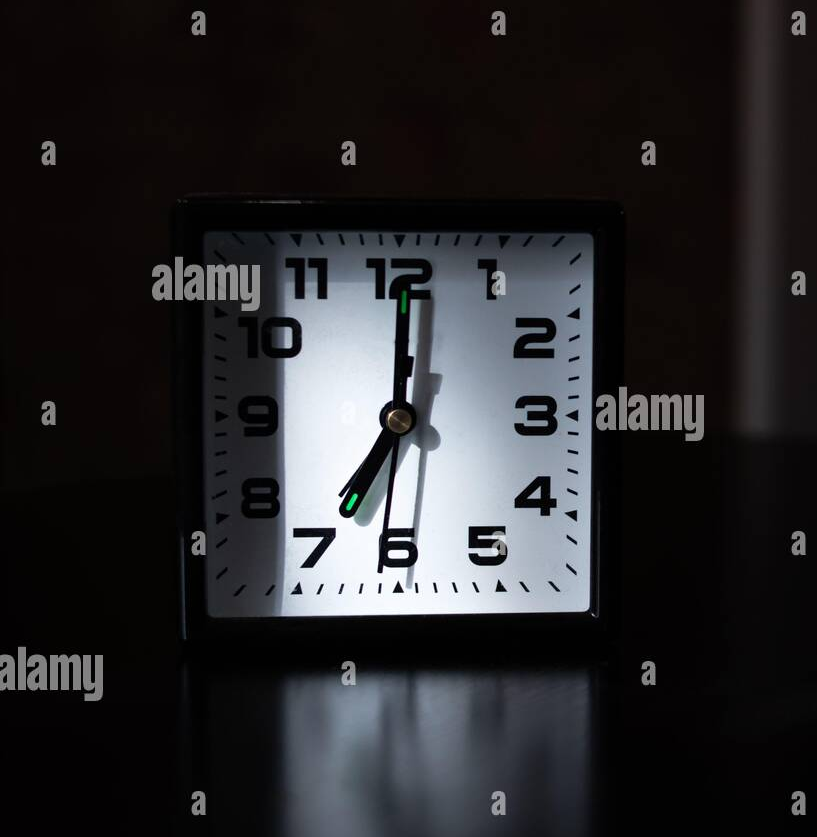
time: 7:00
